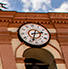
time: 2:33
